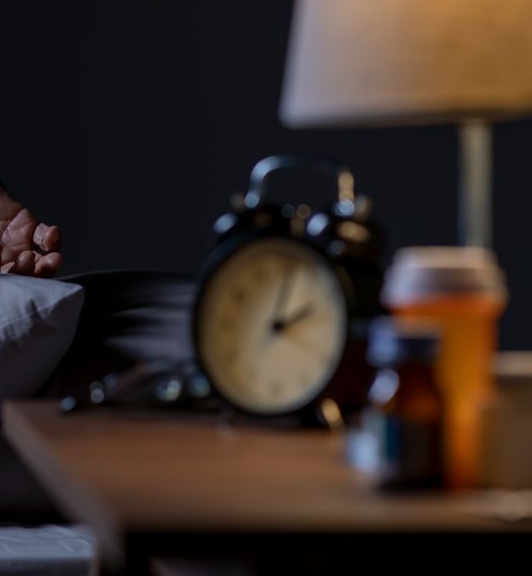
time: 2:02
